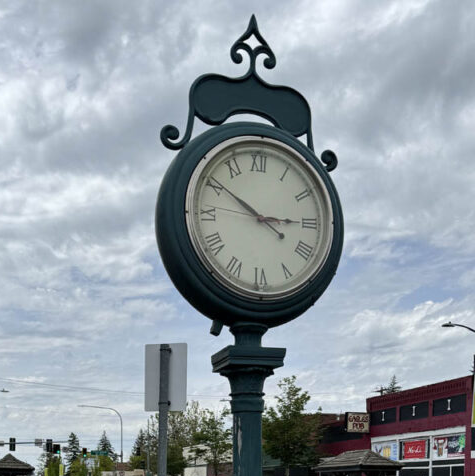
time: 2:50
